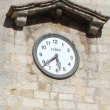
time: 5:38
